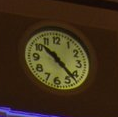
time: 10:22
